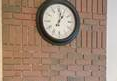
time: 1:01
